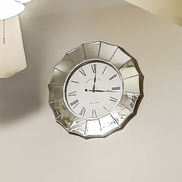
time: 12:16
